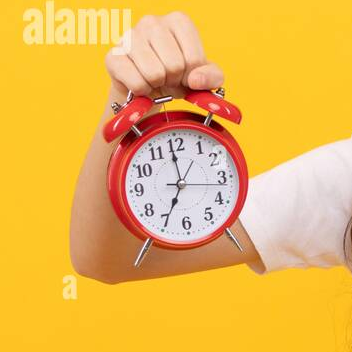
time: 6:58
